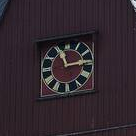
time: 11:13
